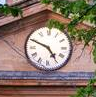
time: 4:49
